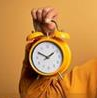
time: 1:50
